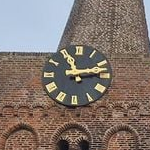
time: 11:13
